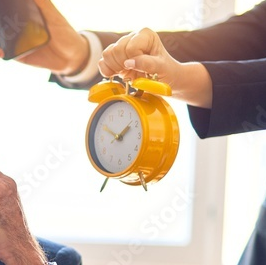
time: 1:50
